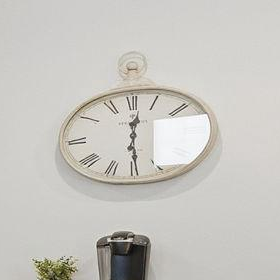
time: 12:29
